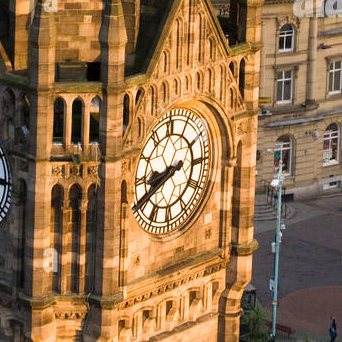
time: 8:40
